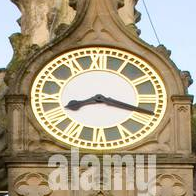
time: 8:17
